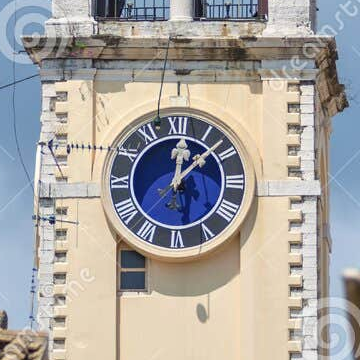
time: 12:07
